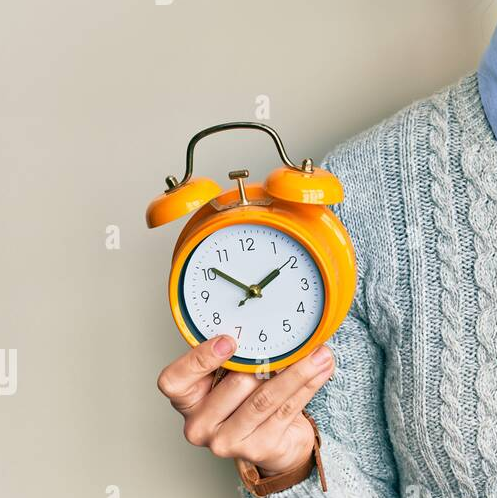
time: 1:51
